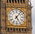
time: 5:06
